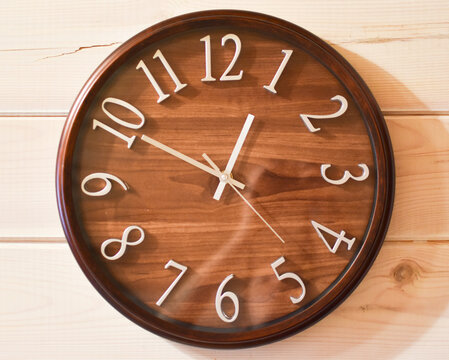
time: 12:50
